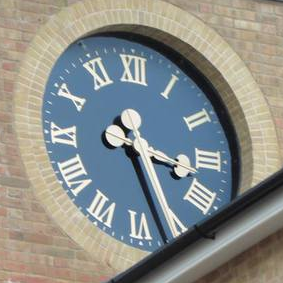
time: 3:26
